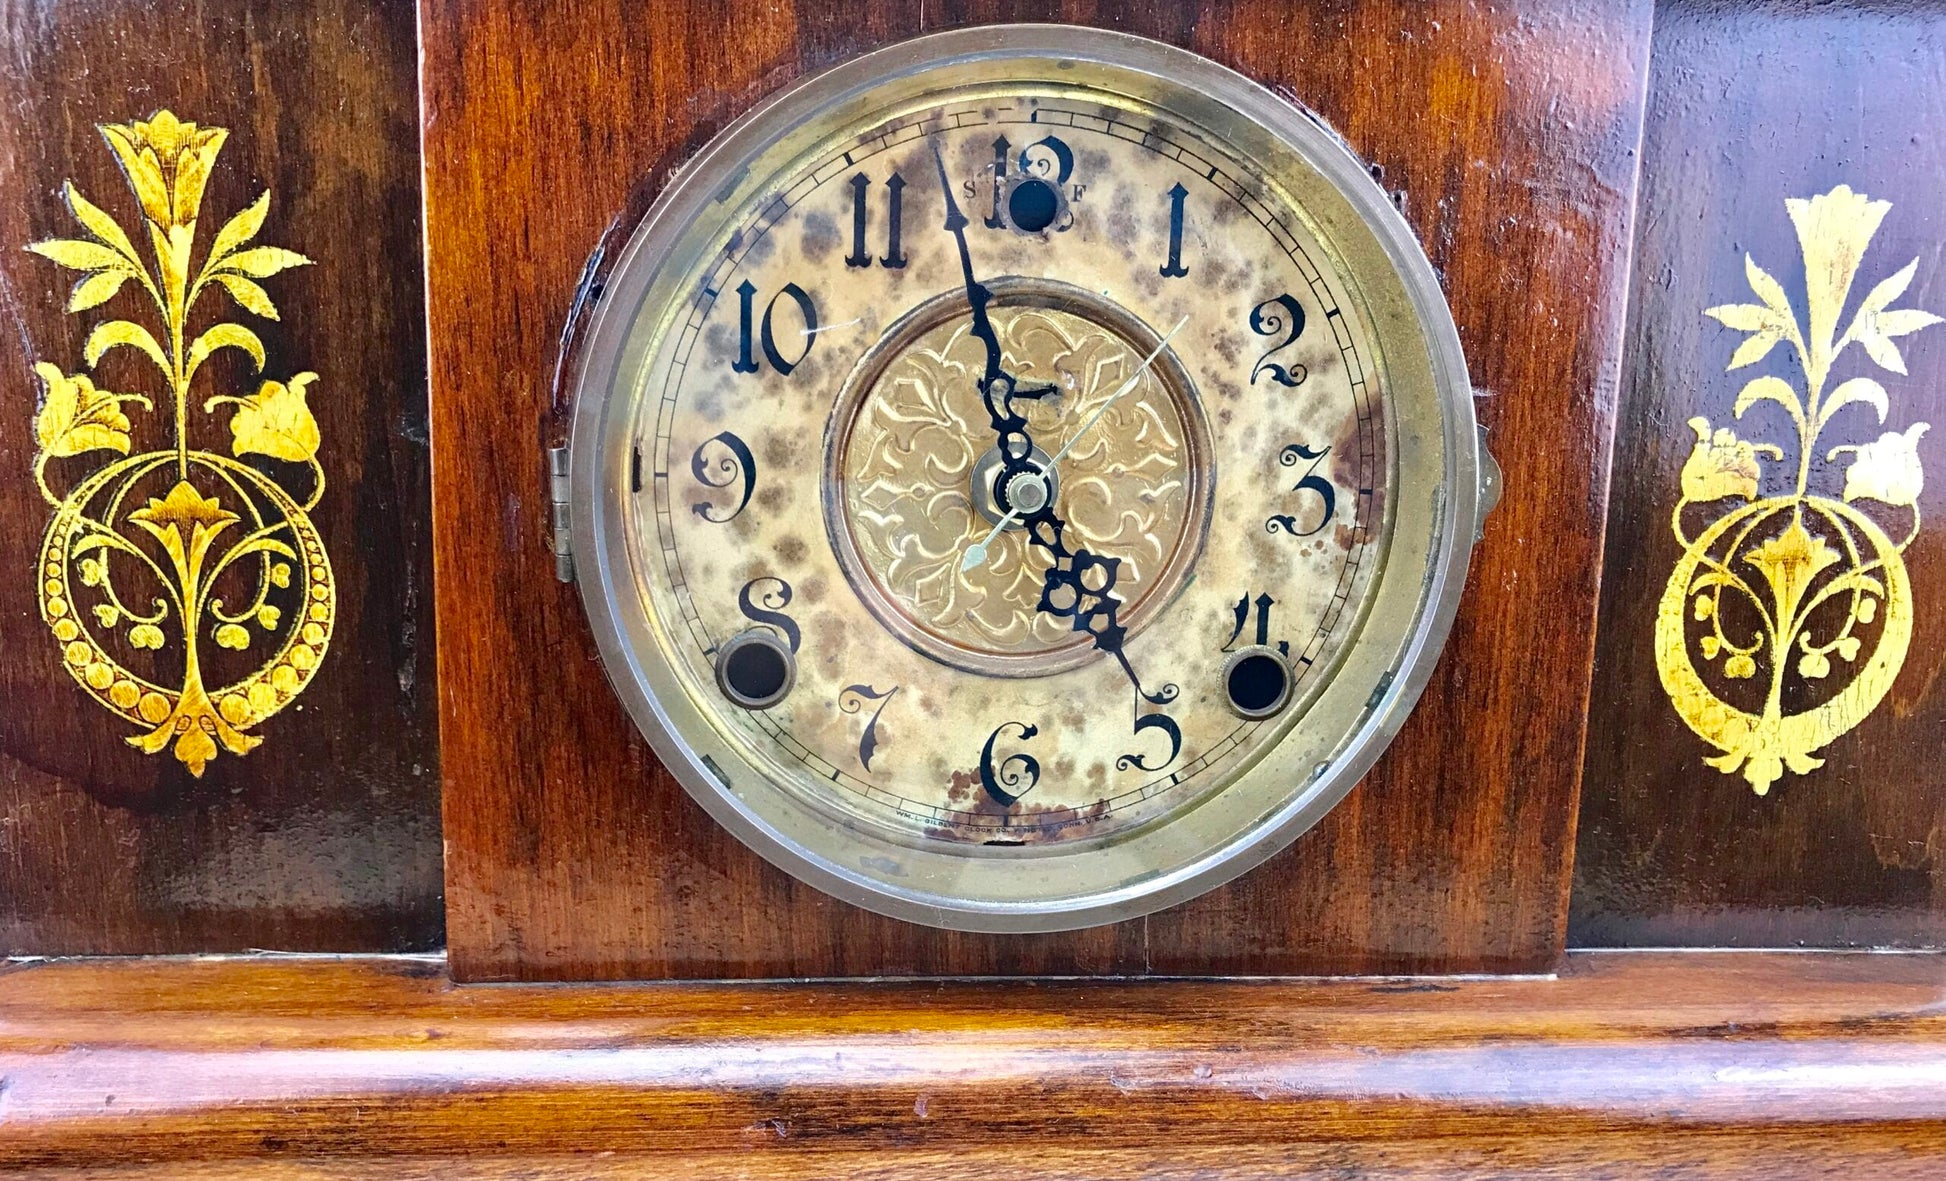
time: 4:57
